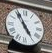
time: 4:54
